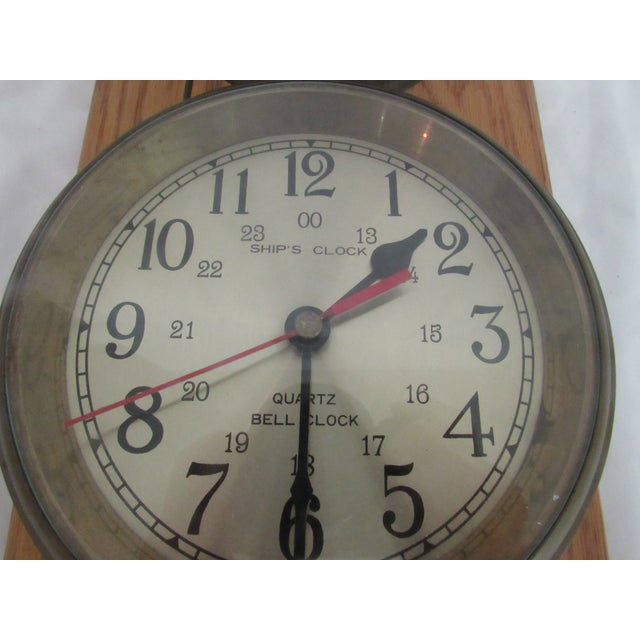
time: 1:29
